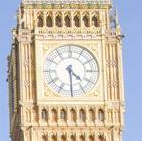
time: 4:29
